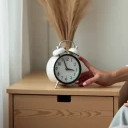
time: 2:56
